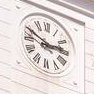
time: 2:49
